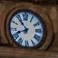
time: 10:41
